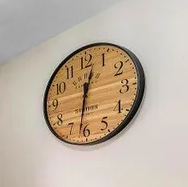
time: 12:31
